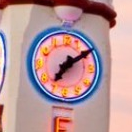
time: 7:09
